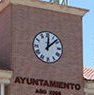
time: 12:07
